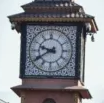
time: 9:40
